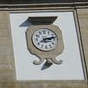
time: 3:12
